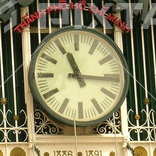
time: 11:15
